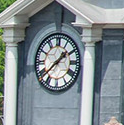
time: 1:37
